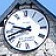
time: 9:42
